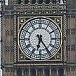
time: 6:24
